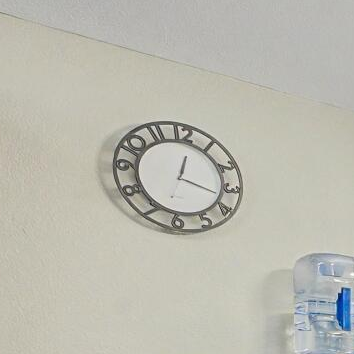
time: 12:17
